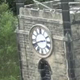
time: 2:41
